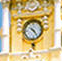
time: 10:24
